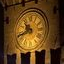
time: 10:41
